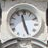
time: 11:26
